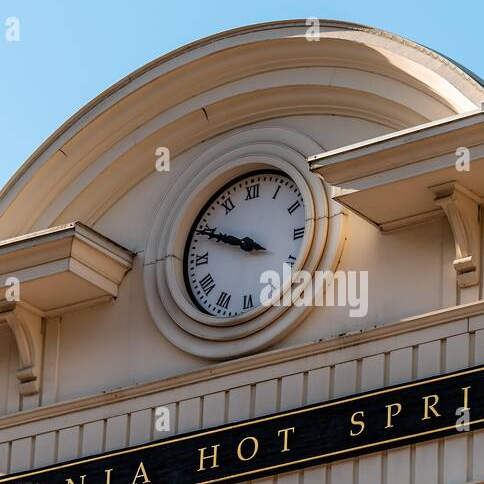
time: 9:49
